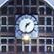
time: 1:32
